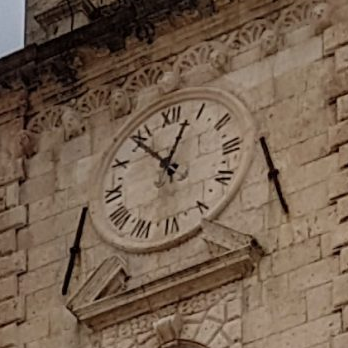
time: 12:53
